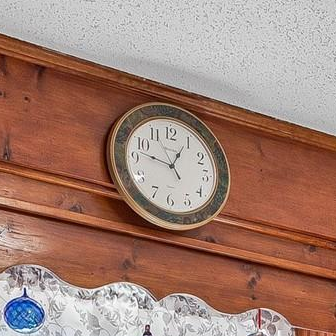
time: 12:46
